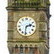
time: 2:31
